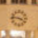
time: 3:46
